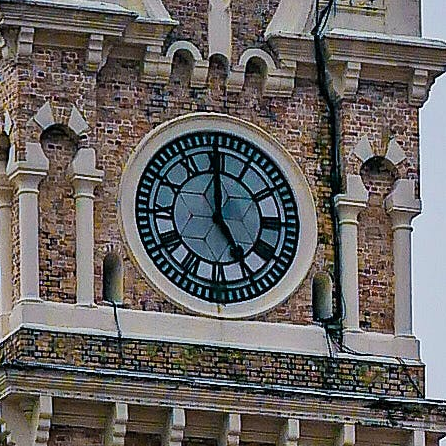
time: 4:59
